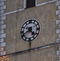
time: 4:40
